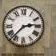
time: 2:37
